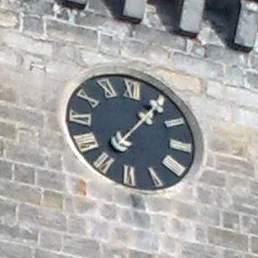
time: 1:05
